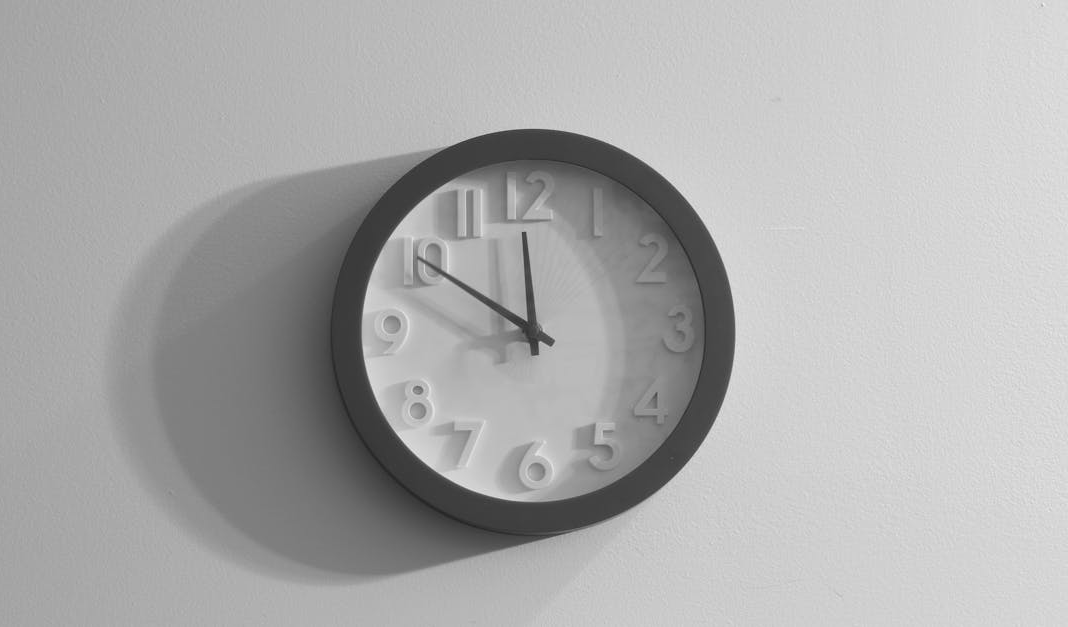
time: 11:50
